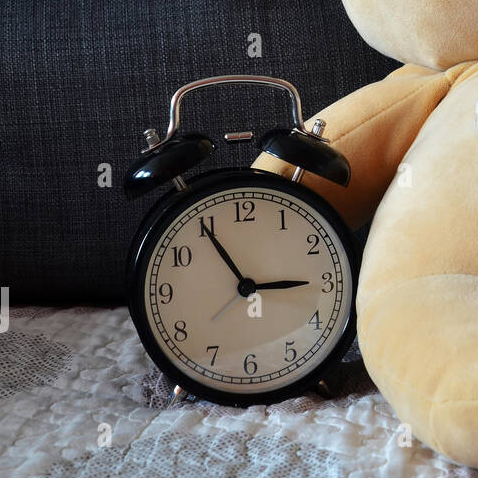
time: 2:54
